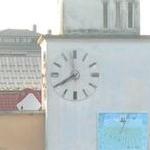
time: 7:58
